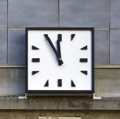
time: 11:55
